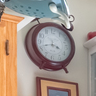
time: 3:42
